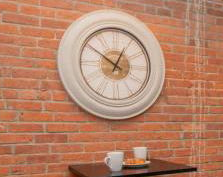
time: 12:50
